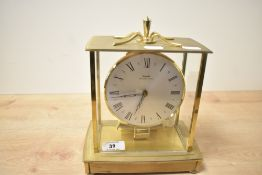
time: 6:43
